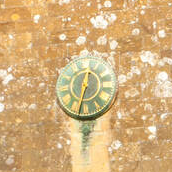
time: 12:32
